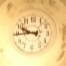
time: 9:44
